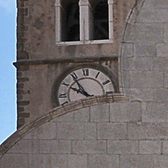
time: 9:54
